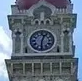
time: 12:30
